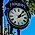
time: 2:06
